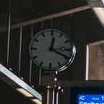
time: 12:18
